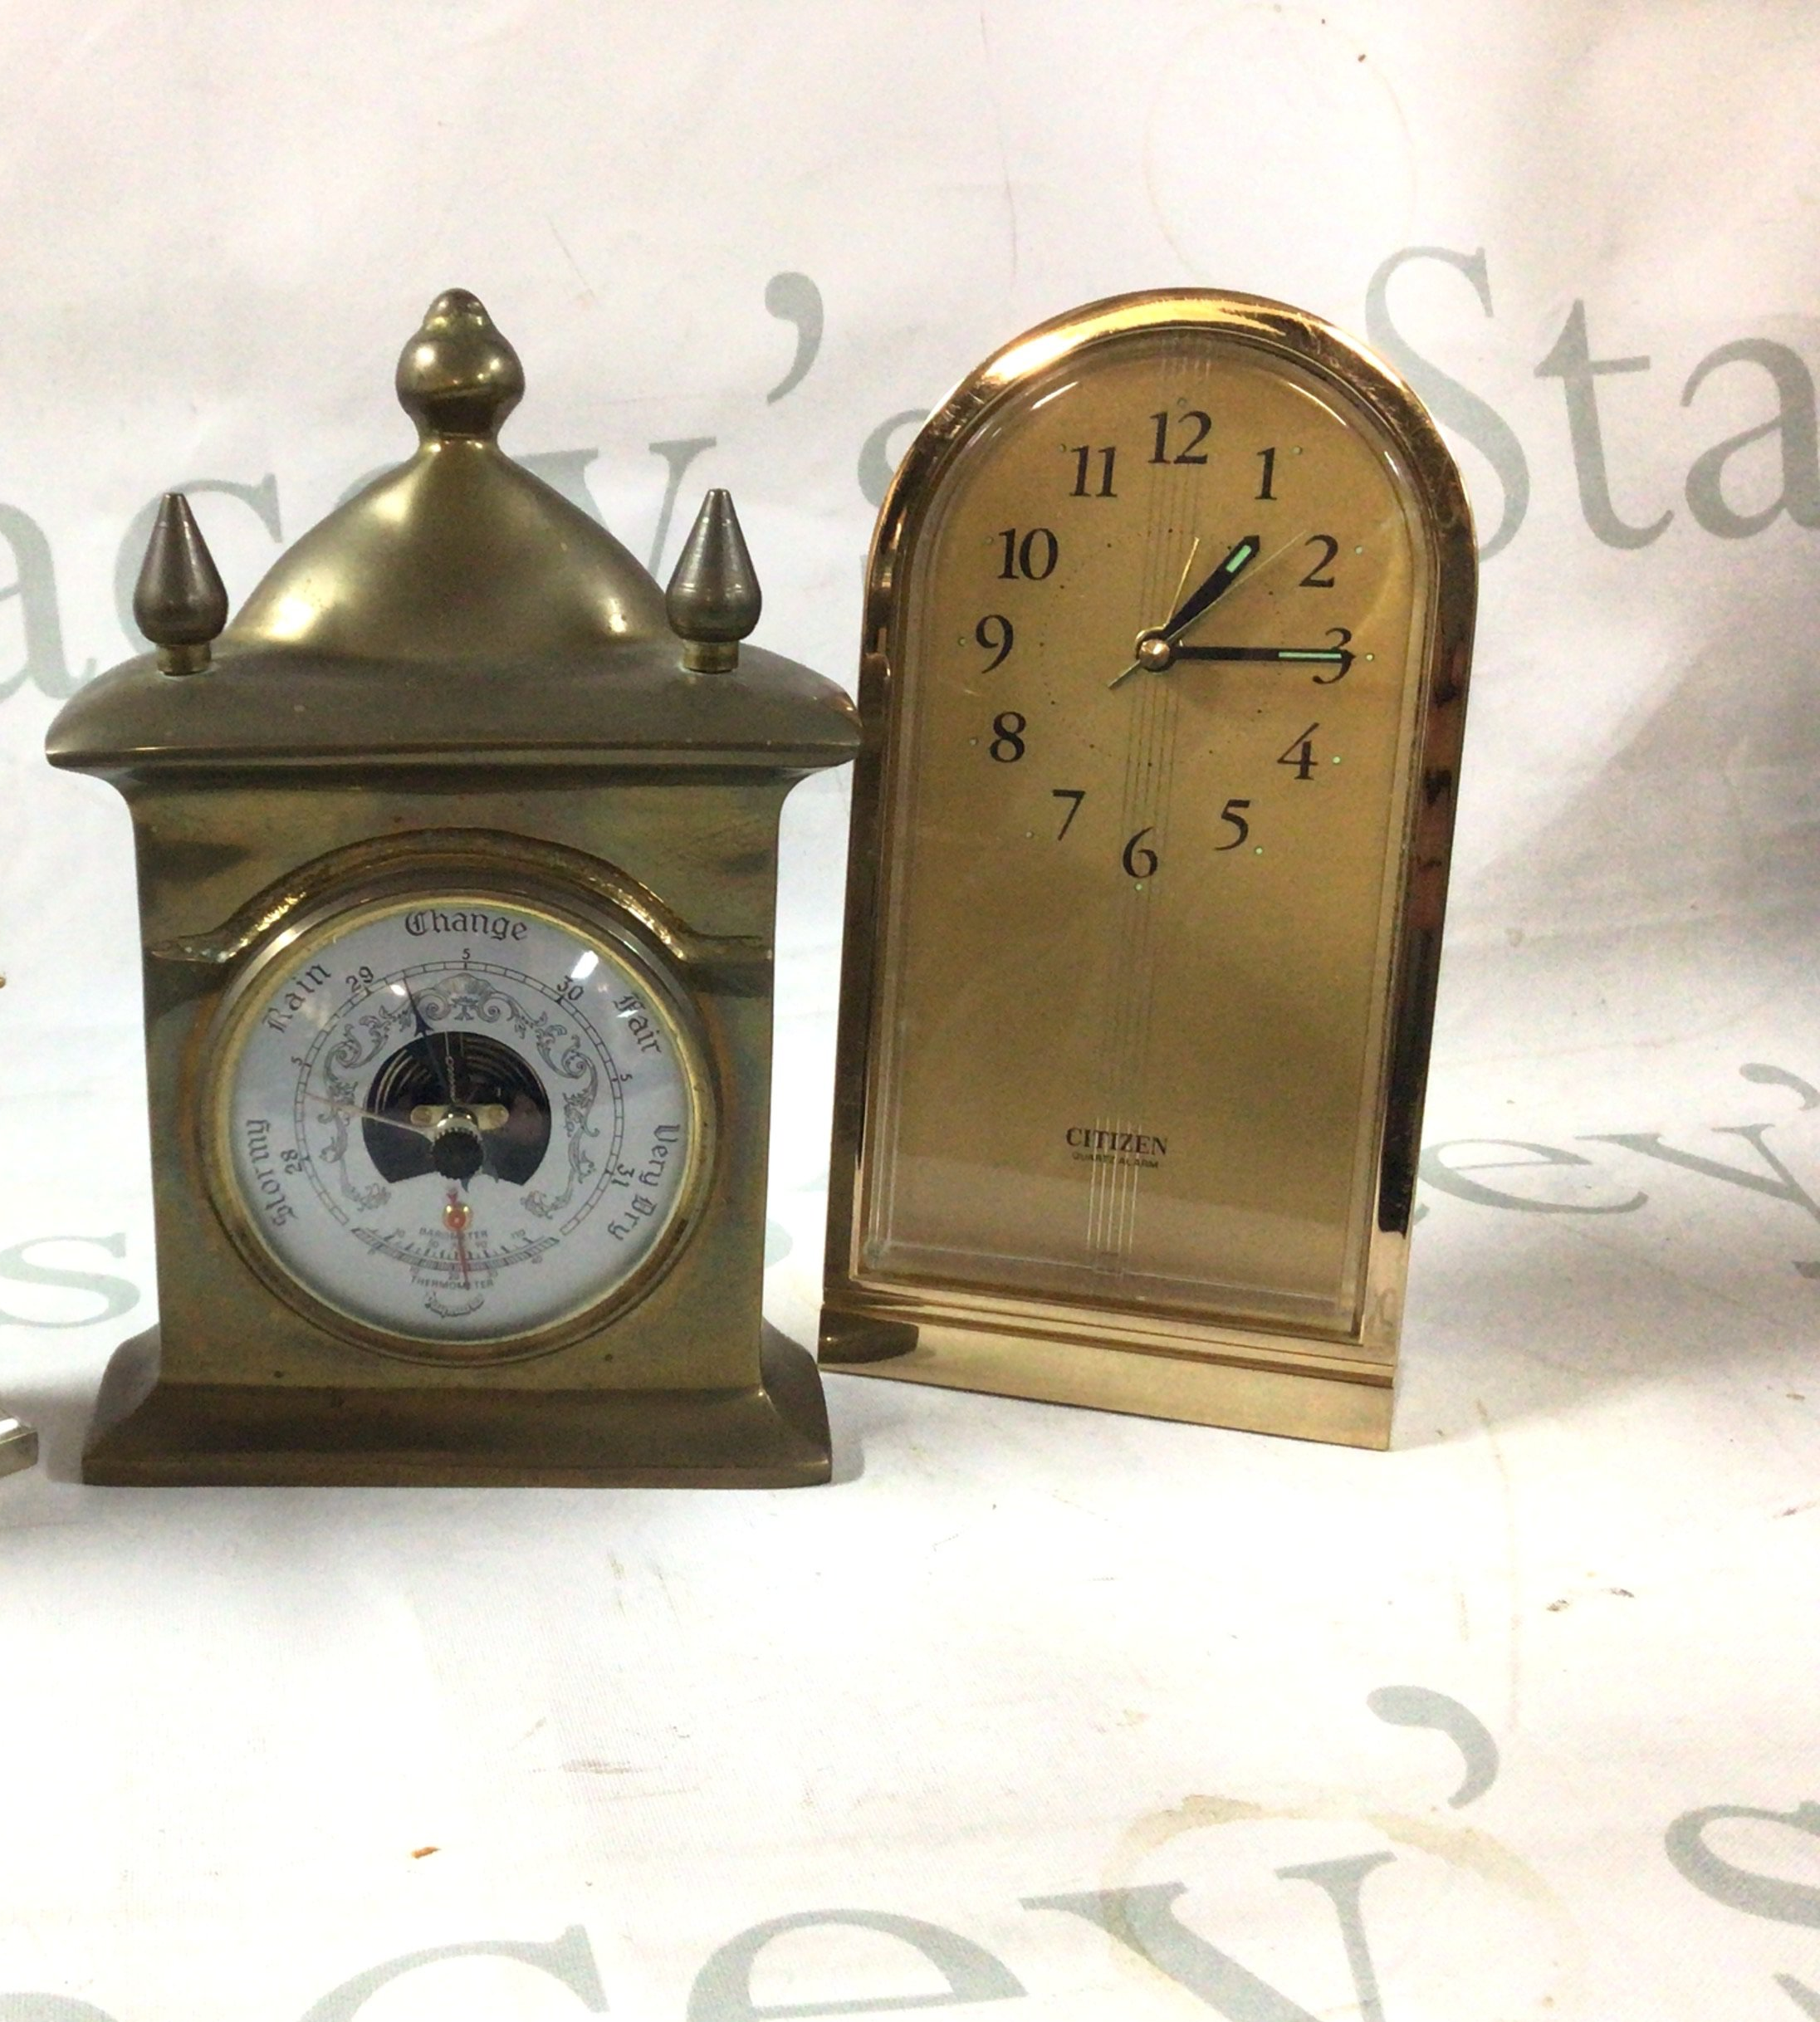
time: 1:14
